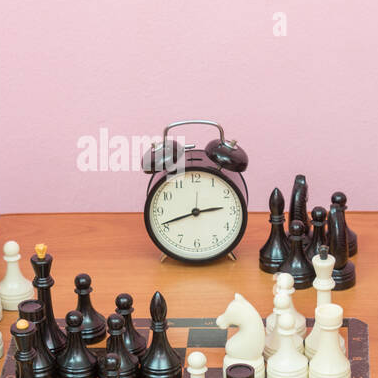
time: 2:41
